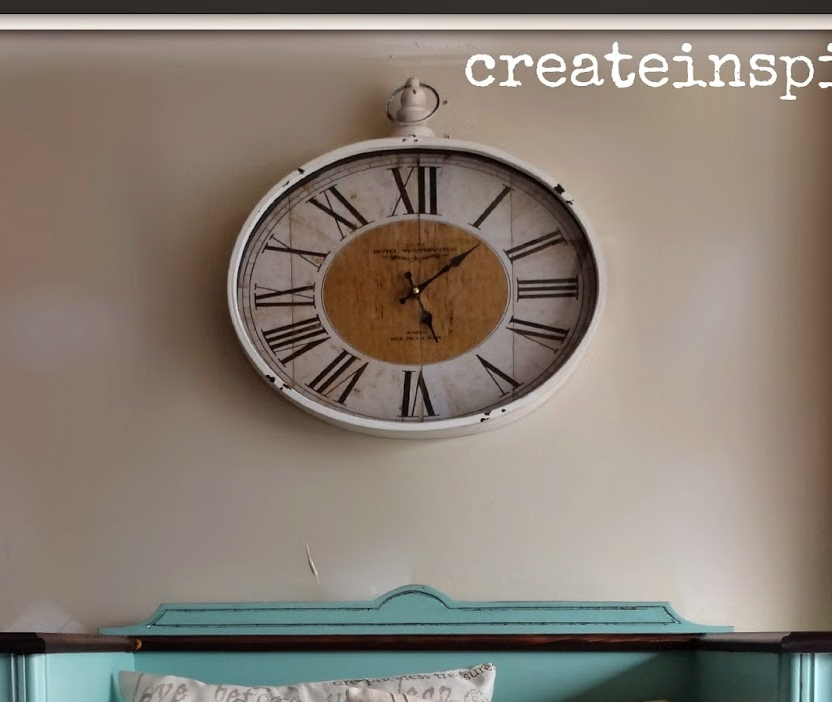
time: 1:26
